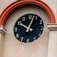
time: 10:02
